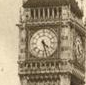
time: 4:27
